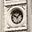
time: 10:07
